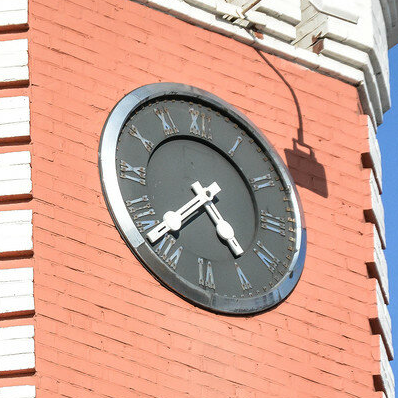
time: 4:37
